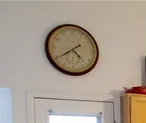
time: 4:39
